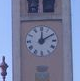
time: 12:09
